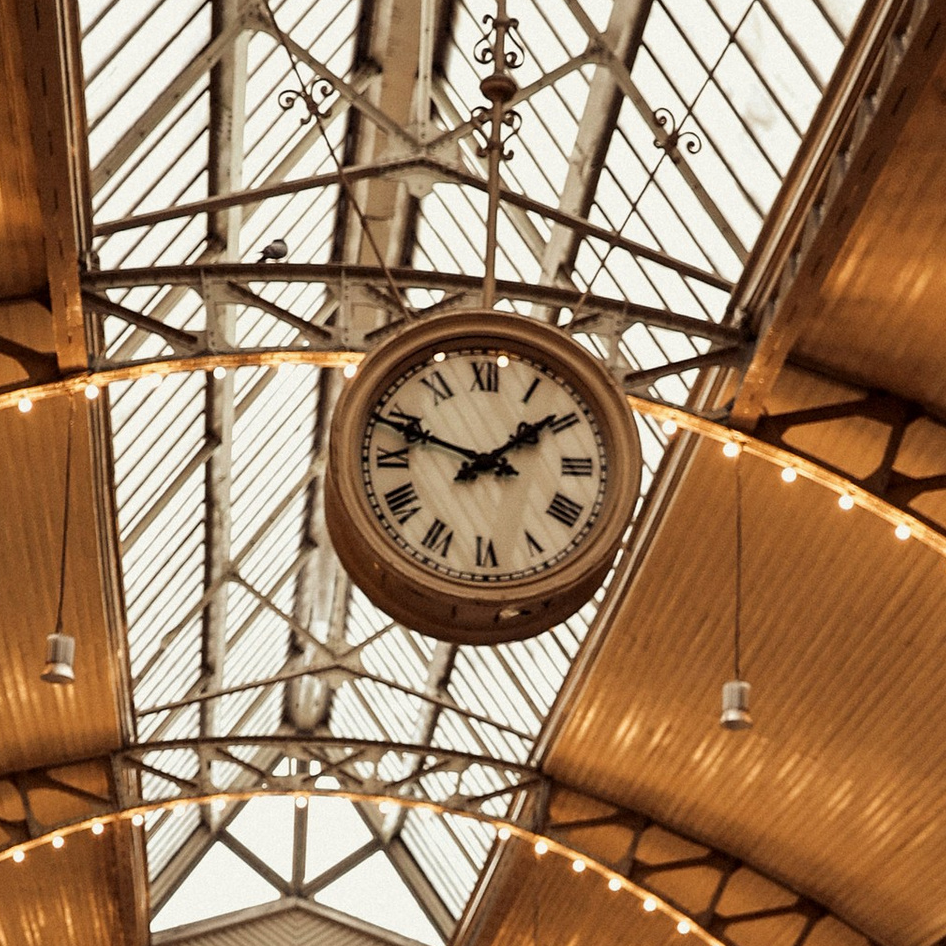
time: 1:48
